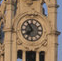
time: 7:54
